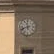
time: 11:41
